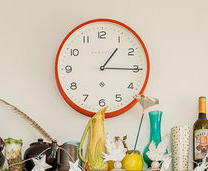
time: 1:15
